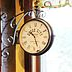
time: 10:26
